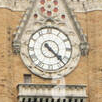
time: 4:22
